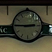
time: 2:45
